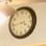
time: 3:43
